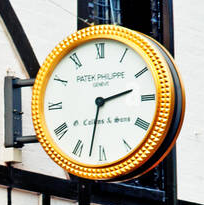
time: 2:32
